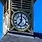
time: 7:00
